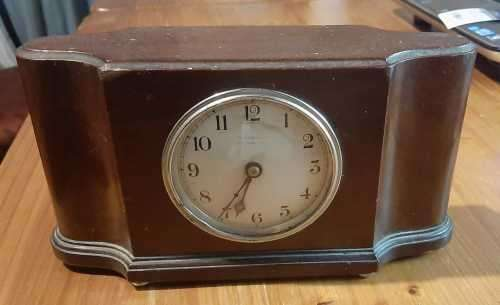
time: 6:34
